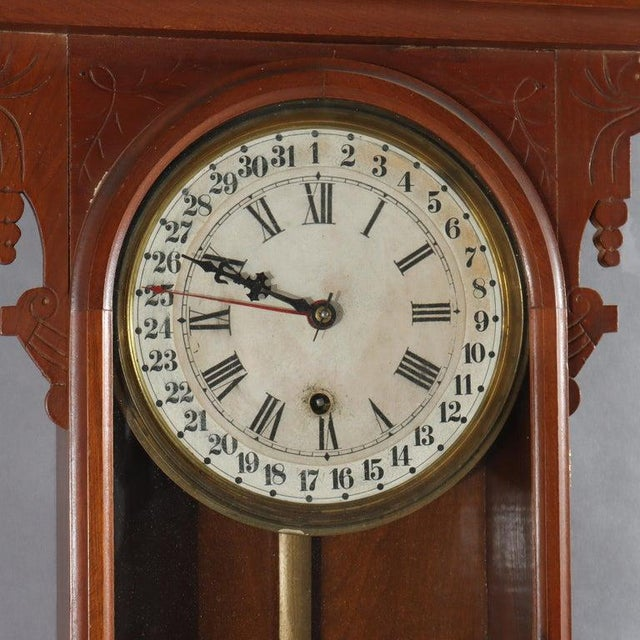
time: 9:48
